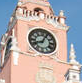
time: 8:04
